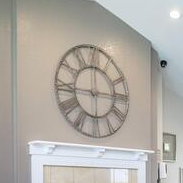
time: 2:44
